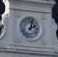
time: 2:02
